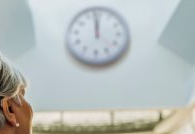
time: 11:58
